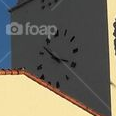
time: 3:52
